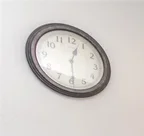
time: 12:29
